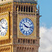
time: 10:16
